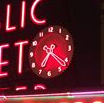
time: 7:21
